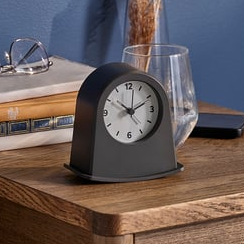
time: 10:11
